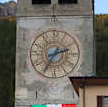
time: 2:35
